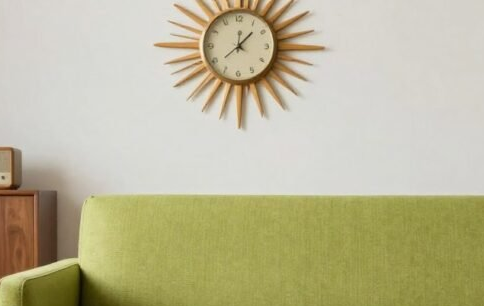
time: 12:07
